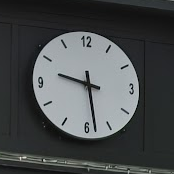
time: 9:28
